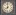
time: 7:59
